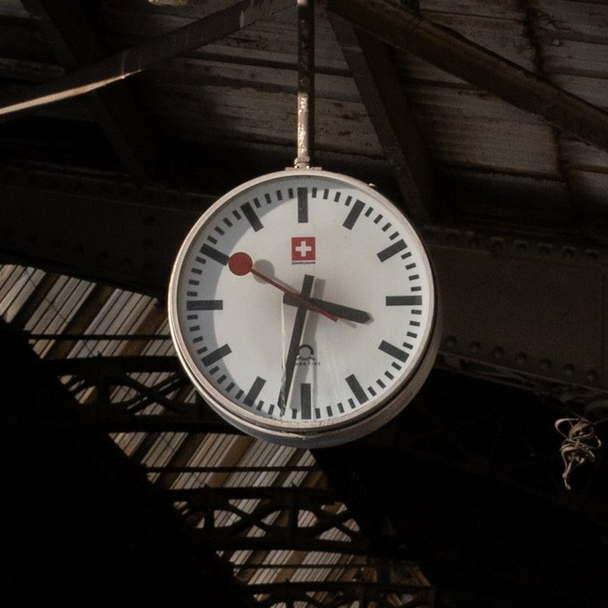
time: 3:32
